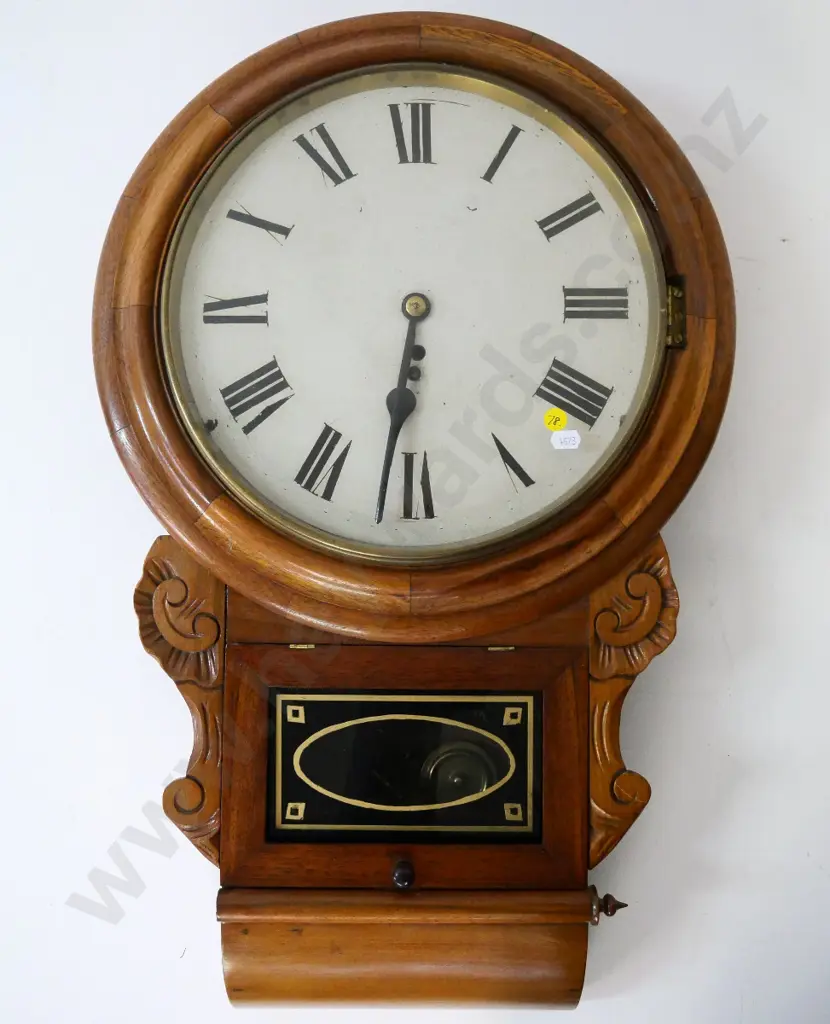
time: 6:31
